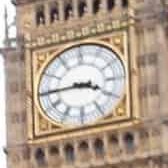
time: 3:44
